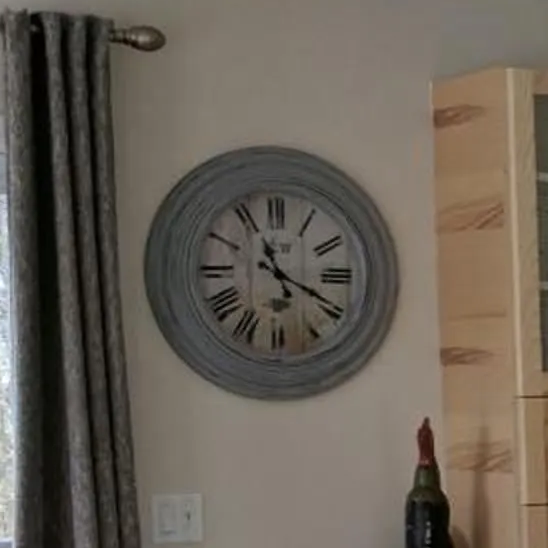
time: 11:19
